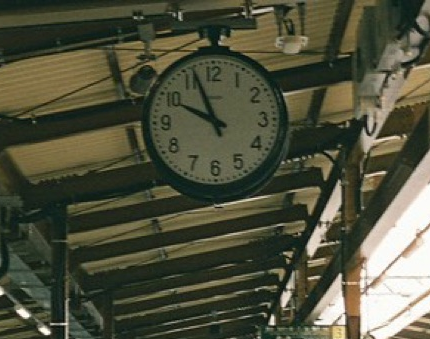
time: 9:56
